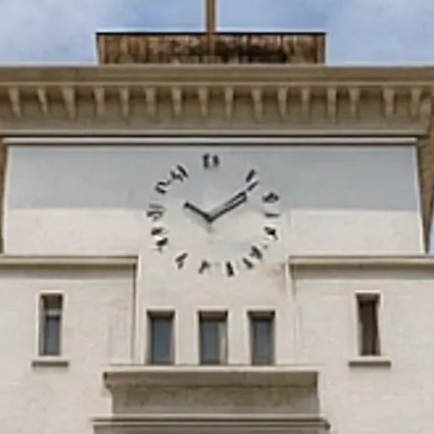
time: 10:07
